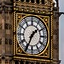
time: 1:34
